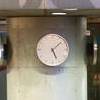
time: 5:08
